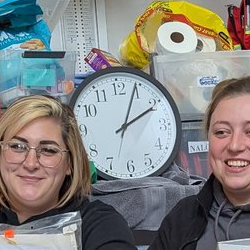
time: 2:04
